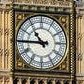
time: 10:45
